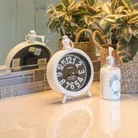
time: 3:40
